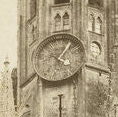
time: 4:04
